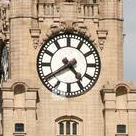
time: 4:39
